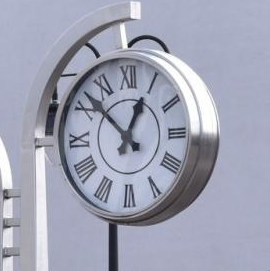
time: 12:52
